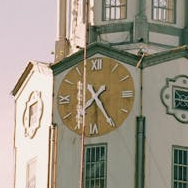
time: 7:25
